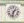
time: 1:32
